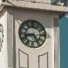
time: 8:24
